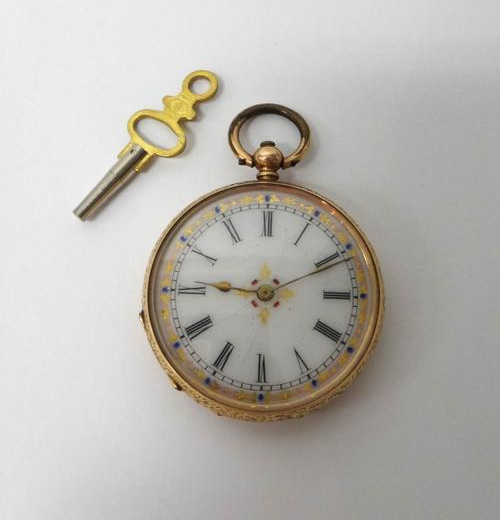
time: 9:10
